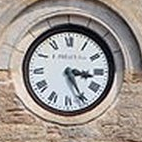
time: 3:25
